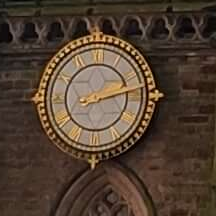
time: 8:13
